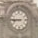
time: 8:45
